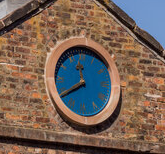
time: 11:39
